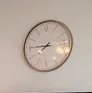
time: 7:45
